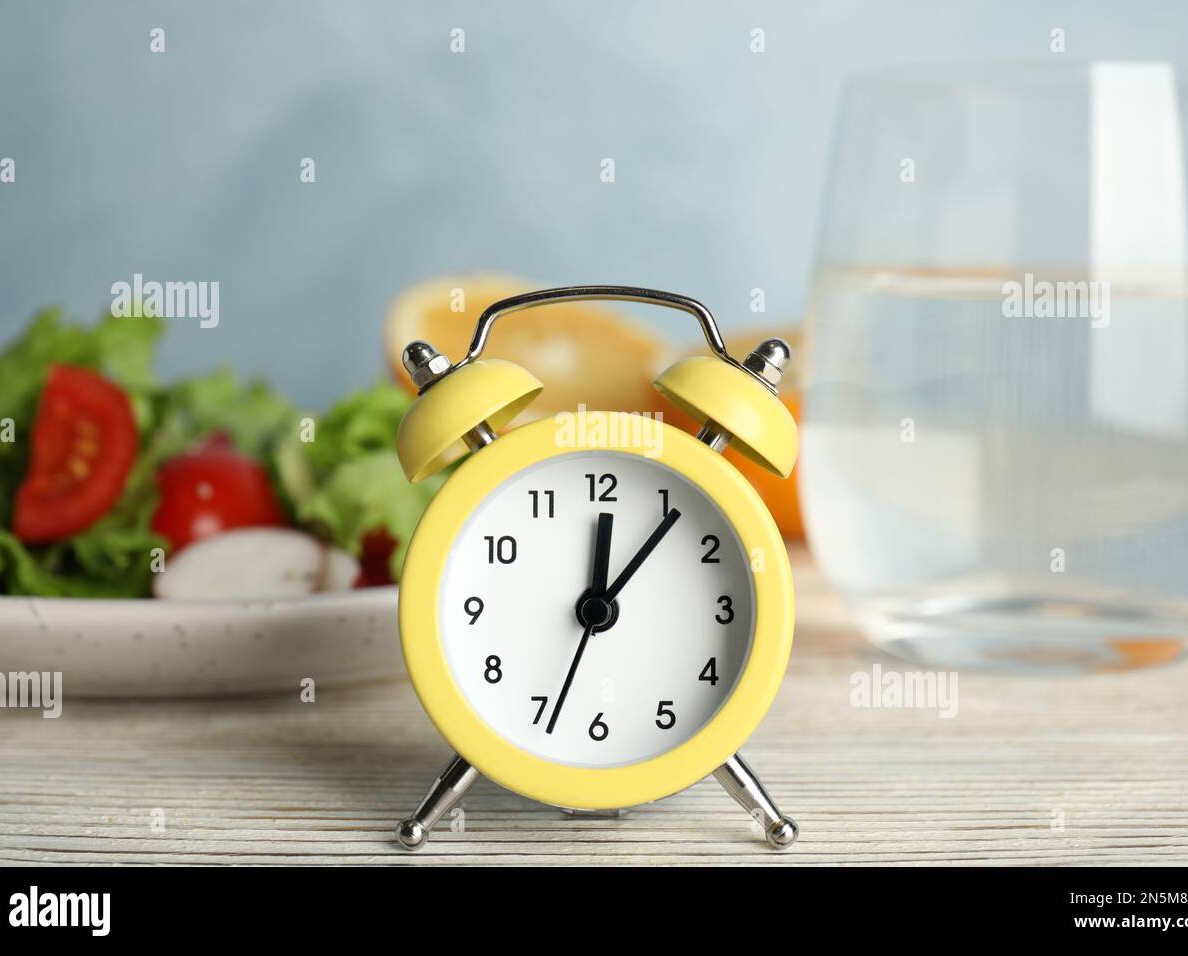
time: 12:06
